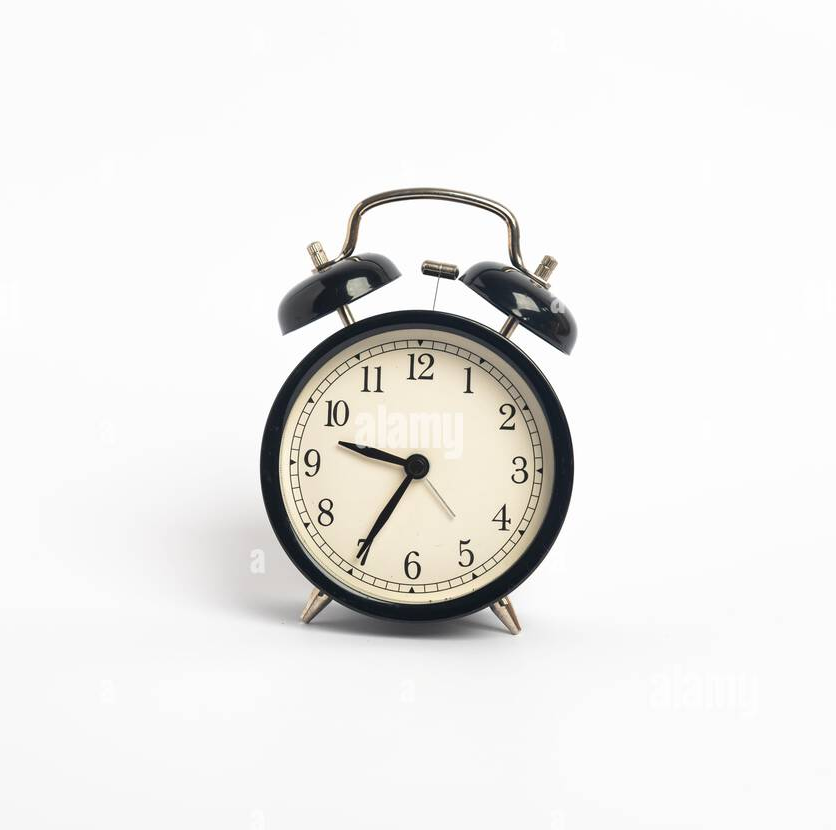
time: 9:35
